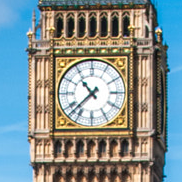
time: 10:37
